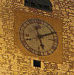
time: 5:11
